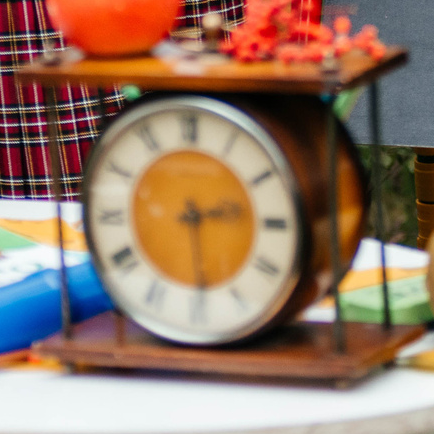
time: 2:29
